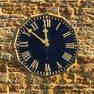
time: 11:51
